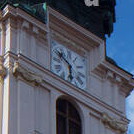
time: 5:51
